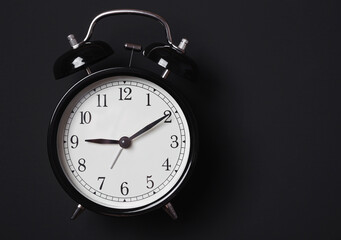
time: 9:09
